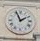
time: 1:56
